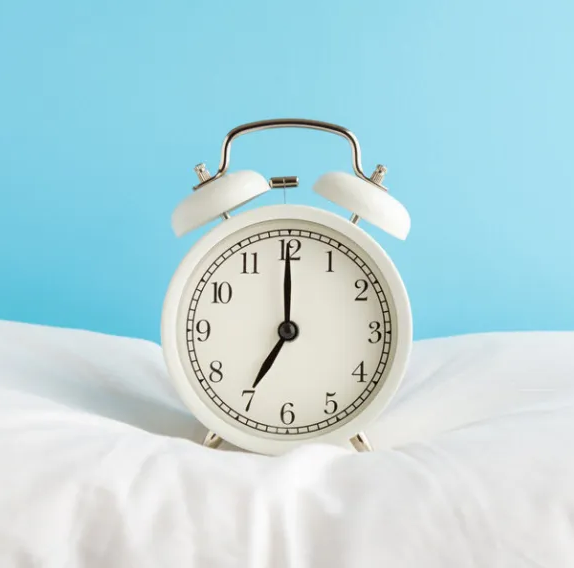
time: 7:00
